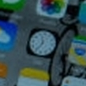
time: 11:35
